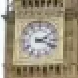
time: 2:18
